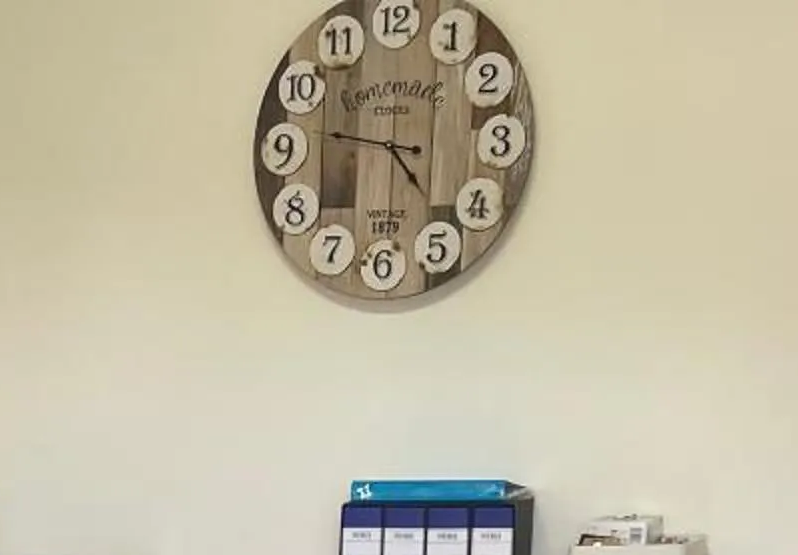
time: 4:46
